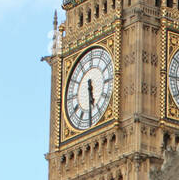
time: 5:30
